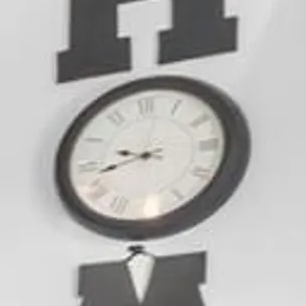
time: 9:42
